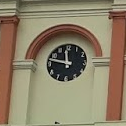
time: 11:47
